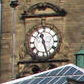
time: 11:26
